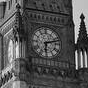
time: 6:12
